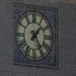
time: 1:24
